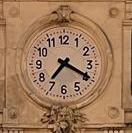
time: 7:19
